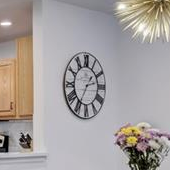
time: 2:35
